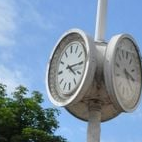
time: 4:14
